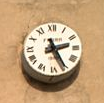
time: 2:25
